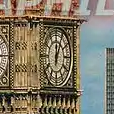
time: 12:04
